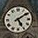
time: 5:09
